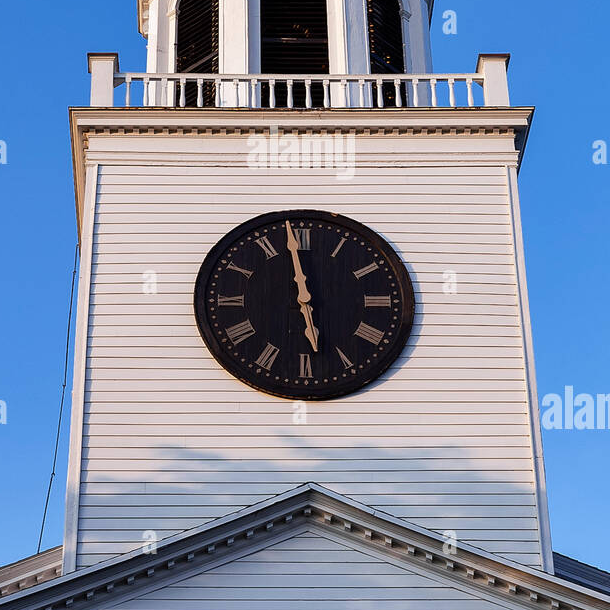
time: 5:58
